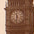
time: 11:32
